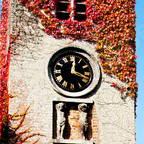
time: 12:18
